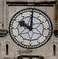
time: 10:00
